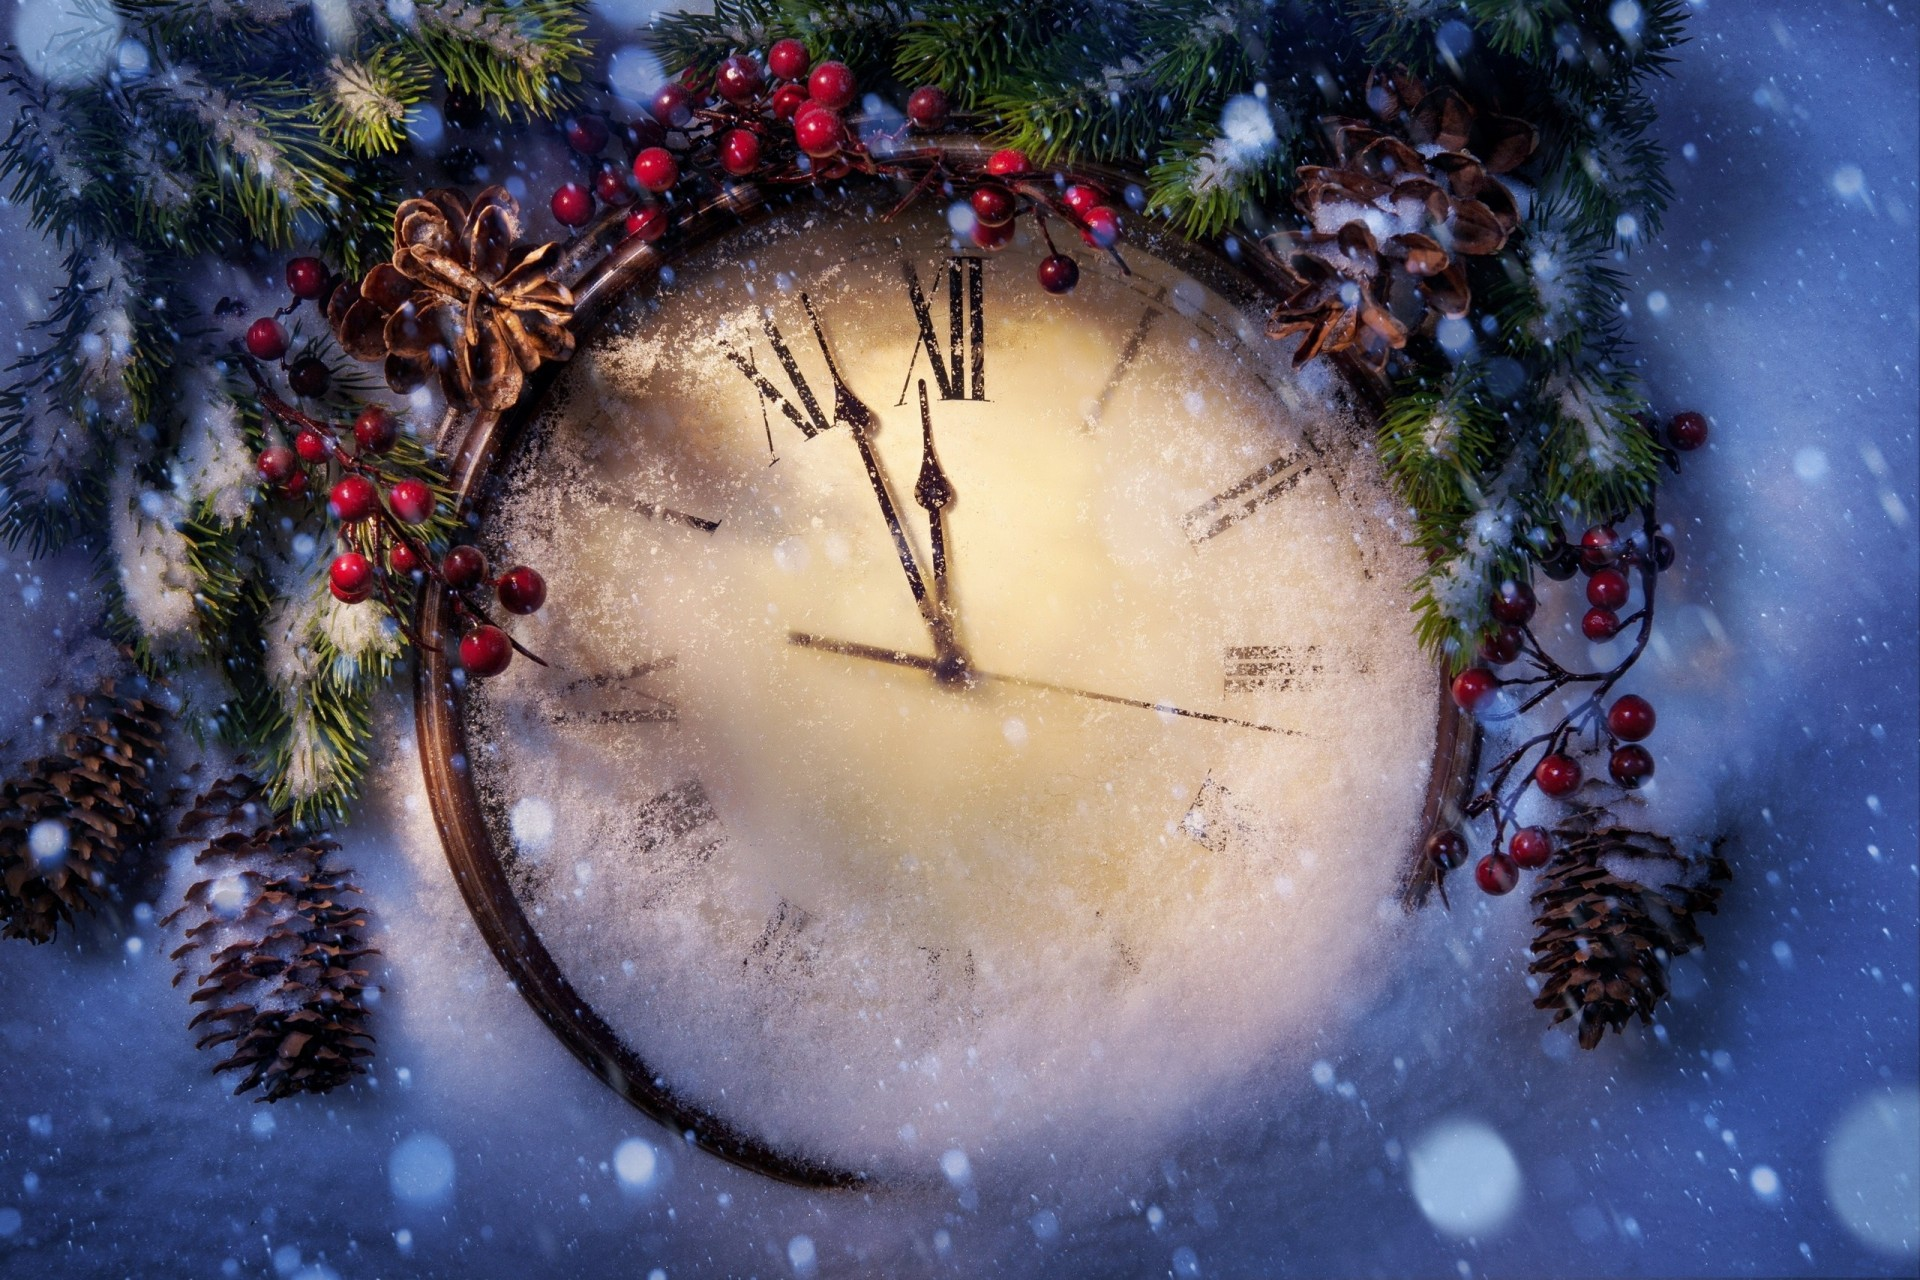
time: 11:56
